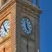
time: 4:59
